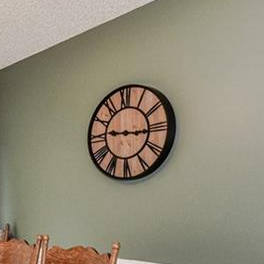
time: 9:15
